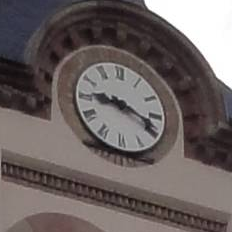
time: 9:18
